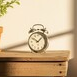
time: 10:07
